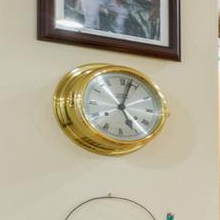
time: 5:02
